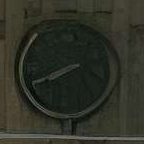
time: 7:40
